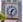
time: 1:33
